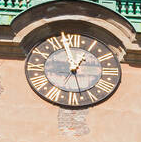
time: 12:57
